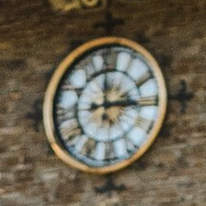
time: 3:00
